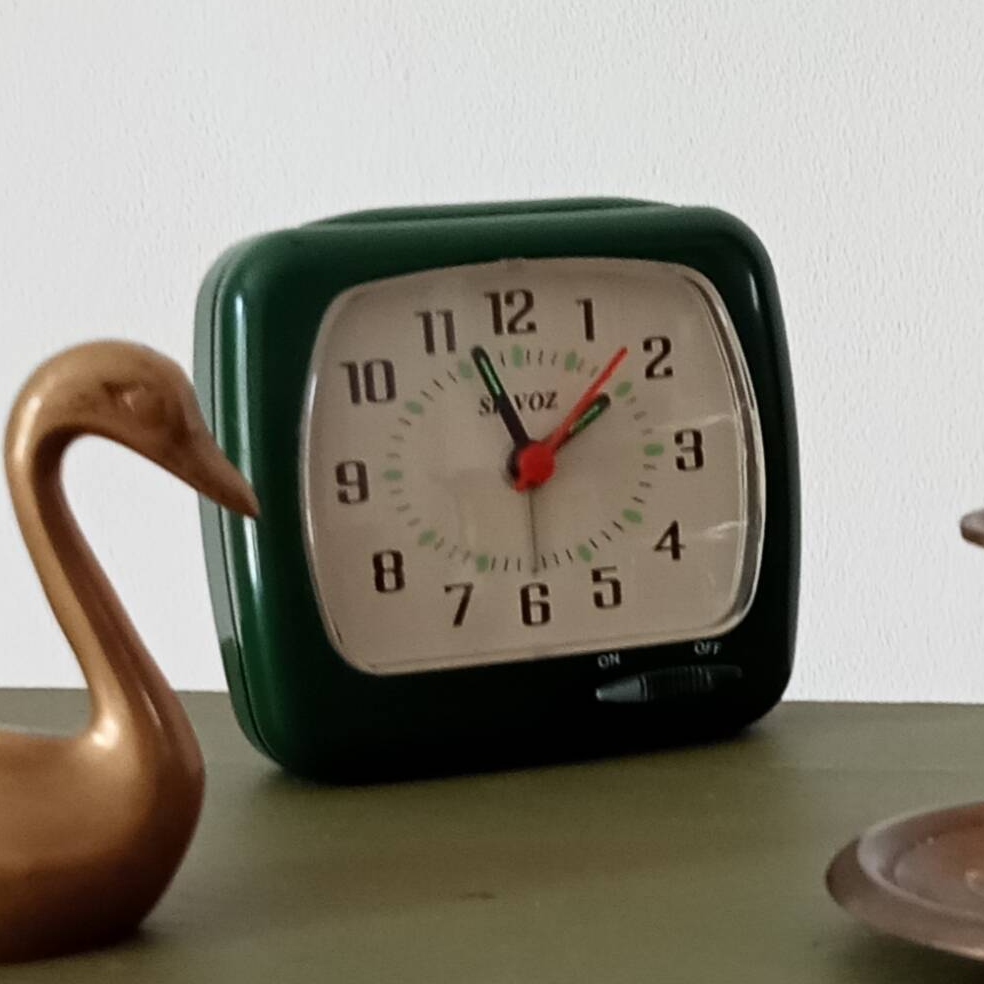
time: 1:56
